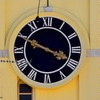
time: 3:49
